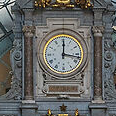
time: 12:16
